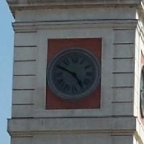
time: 4:49
